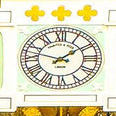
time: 1:47
